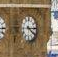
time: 4:14
